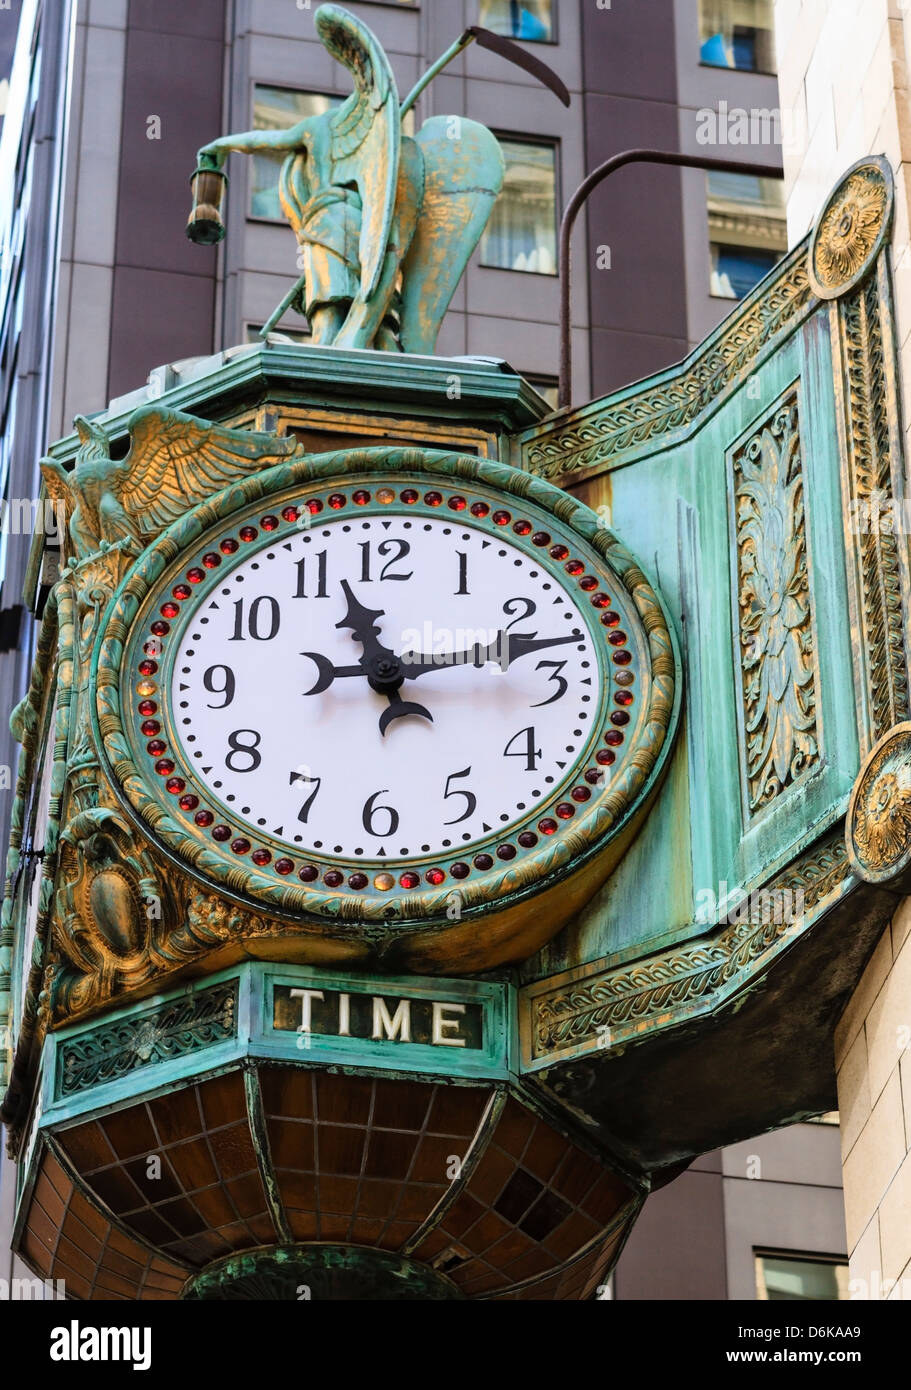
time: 11:12
